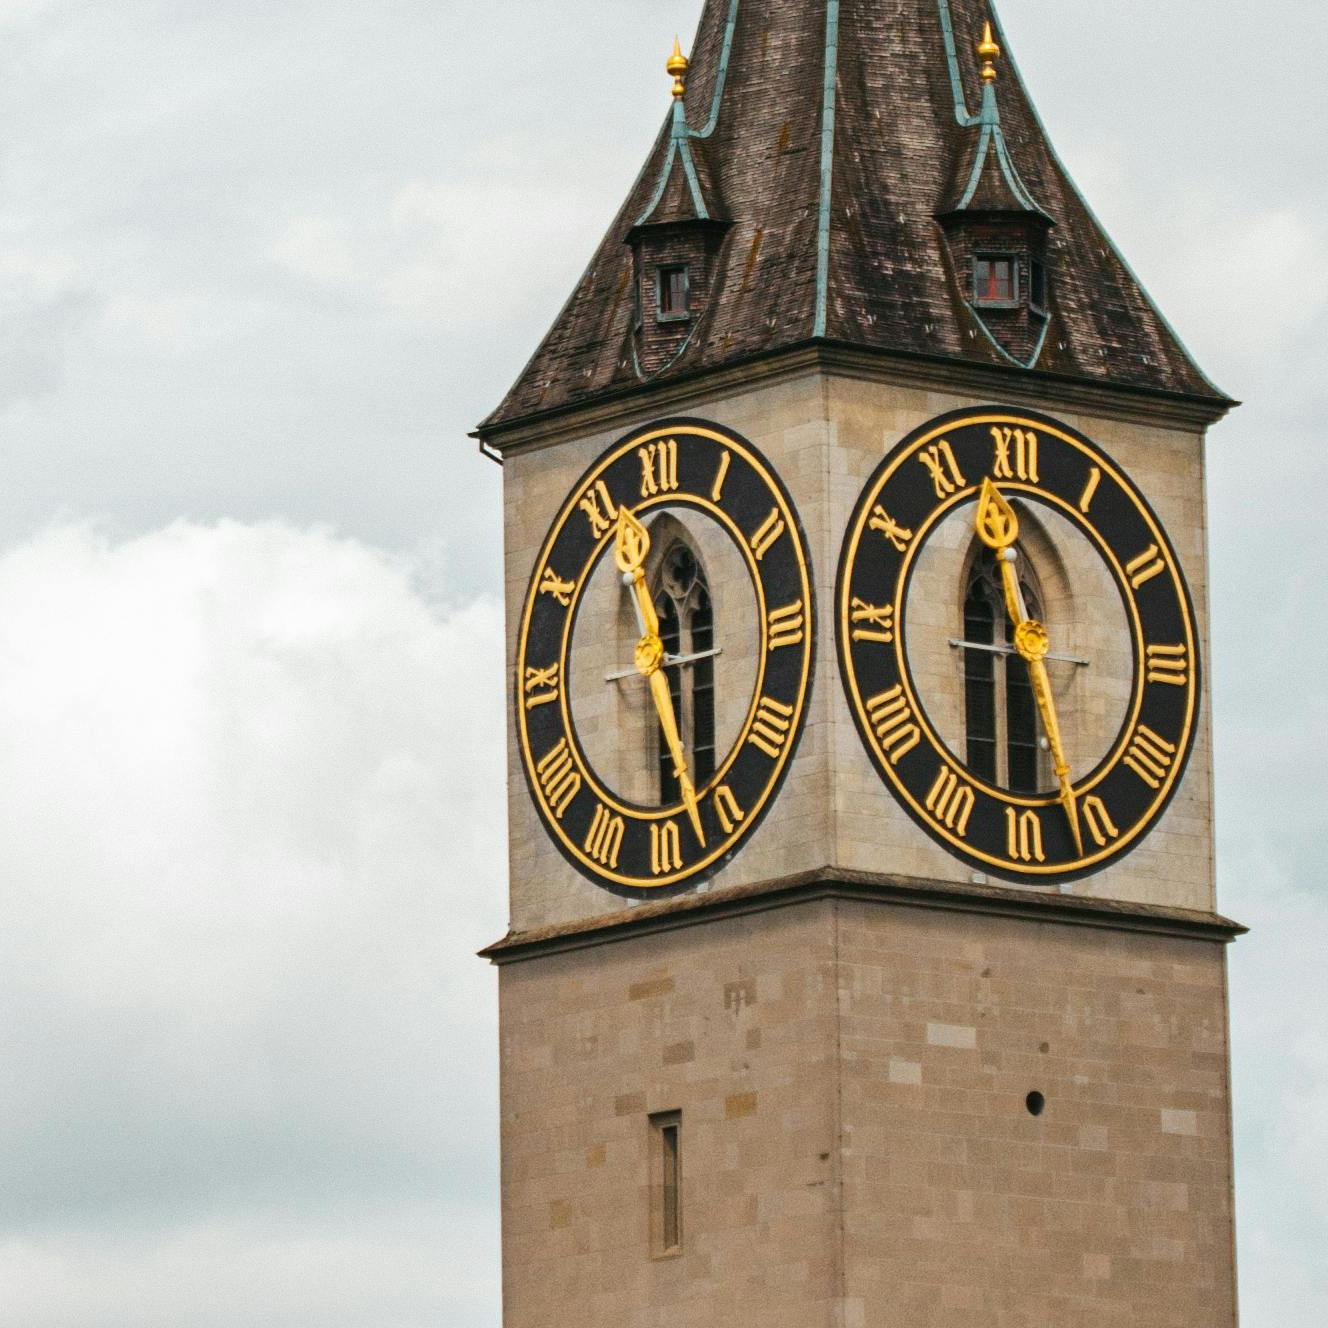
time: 11:28
